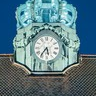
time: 5:36
